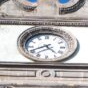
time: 4:40
